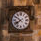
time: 7:50
